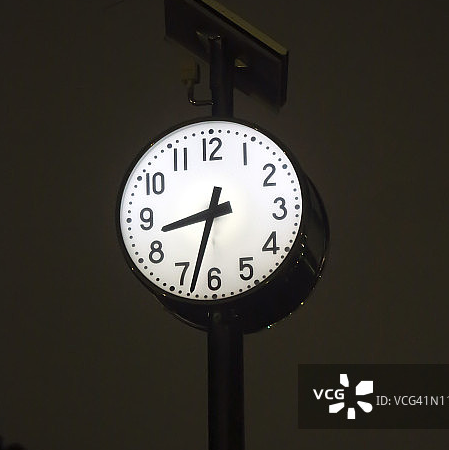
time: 8:32
